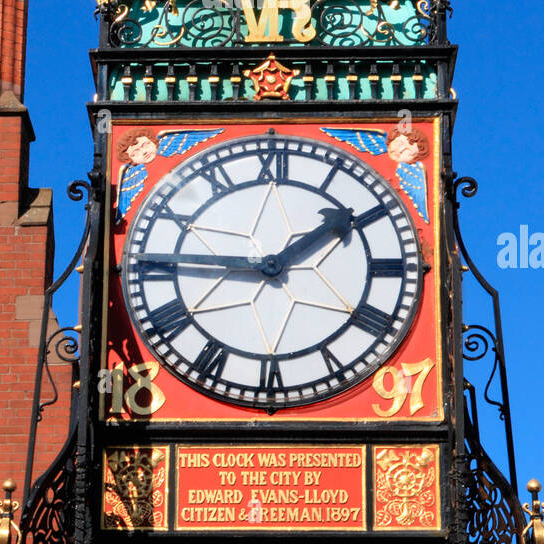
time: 1:45
